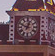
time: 12:49
